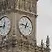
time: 12:46
